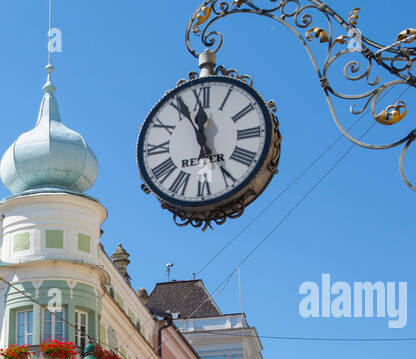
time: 11:55
